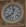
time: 12:38
